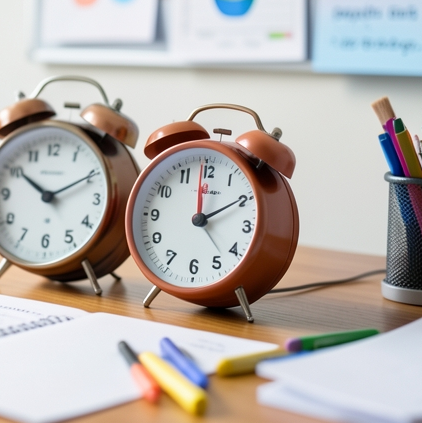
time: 1:59
